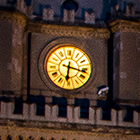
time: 6:17
